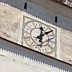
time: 12:07
